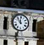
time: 11:53
